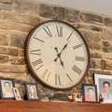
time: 5:05
